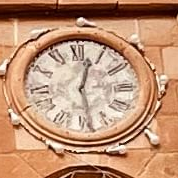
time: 12:28
